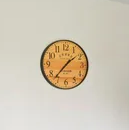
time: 1:36
